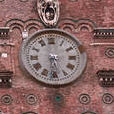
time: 5:31
